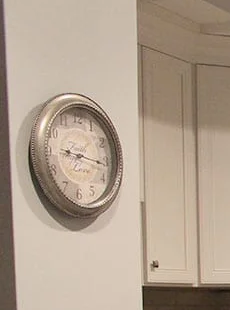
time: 9:16
